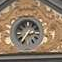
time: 2:36
